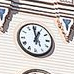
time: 12:58
